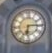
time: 6:14
